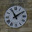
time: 11:09
